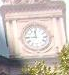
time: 11:44
